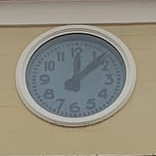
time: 12:07
